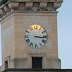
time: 3:16
